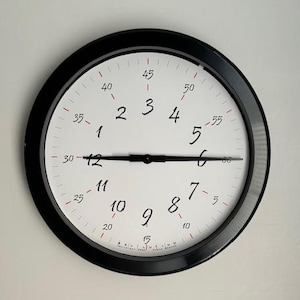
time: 9:14
